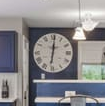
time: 6:00
